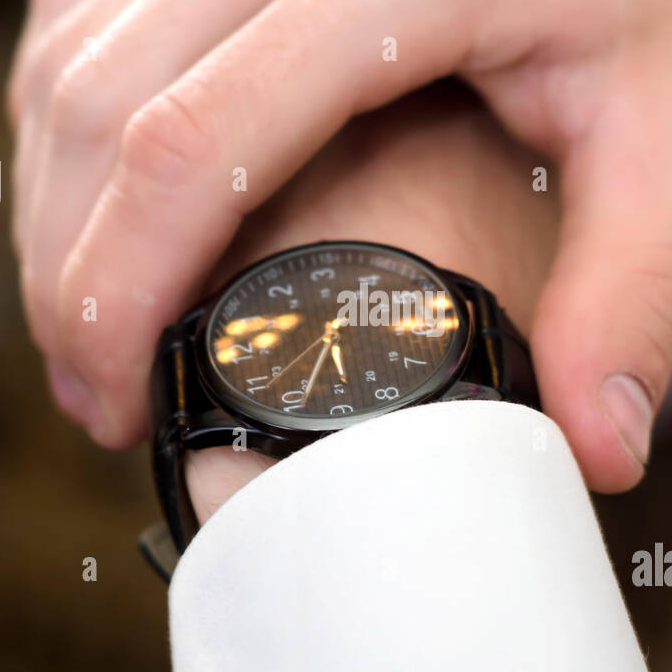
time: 5:33
